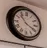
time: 3:53
